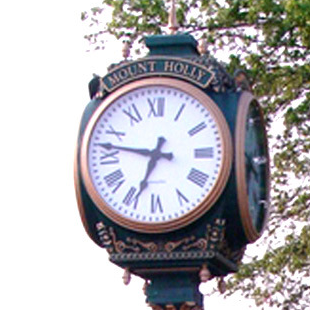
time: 6:46
